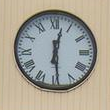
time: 12:29
